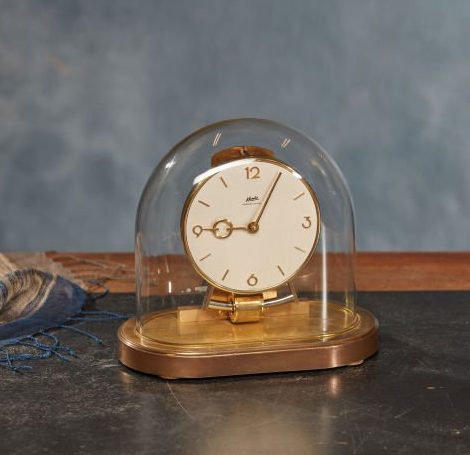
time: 9:05
